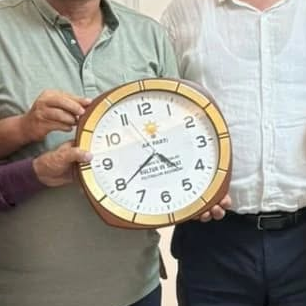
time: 4:39
